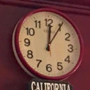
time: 12:05
